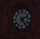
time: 2:24
